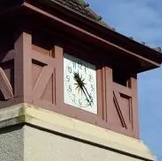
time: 10:22
